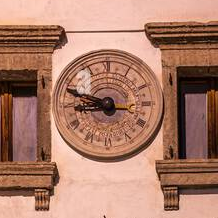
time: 8:48
